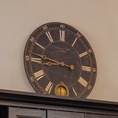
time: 8:46
